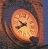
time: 9:40
